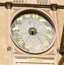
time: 3:35
